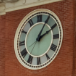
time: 2:05
